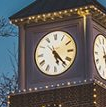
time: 5:23
